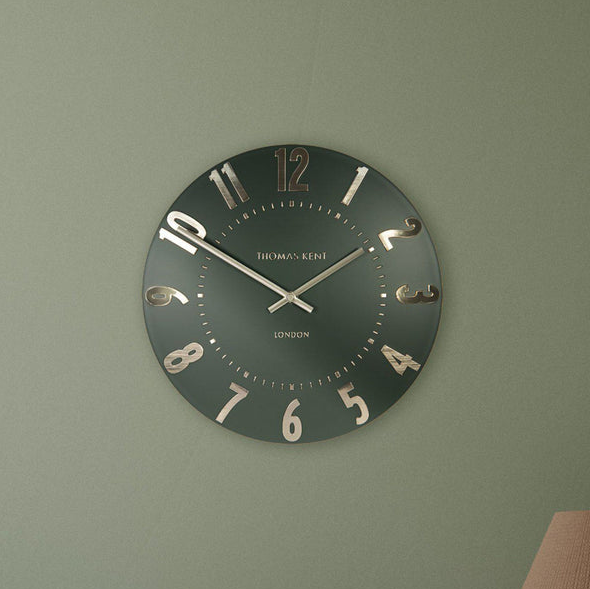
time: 1:50
